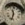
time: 11:32
